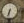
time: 6:32
